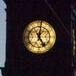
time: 5:01
